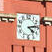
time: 4:13
